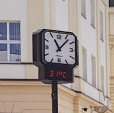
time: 11:07
